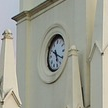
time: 5:49
